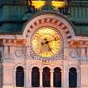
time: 5:11
